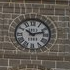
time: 10:12
